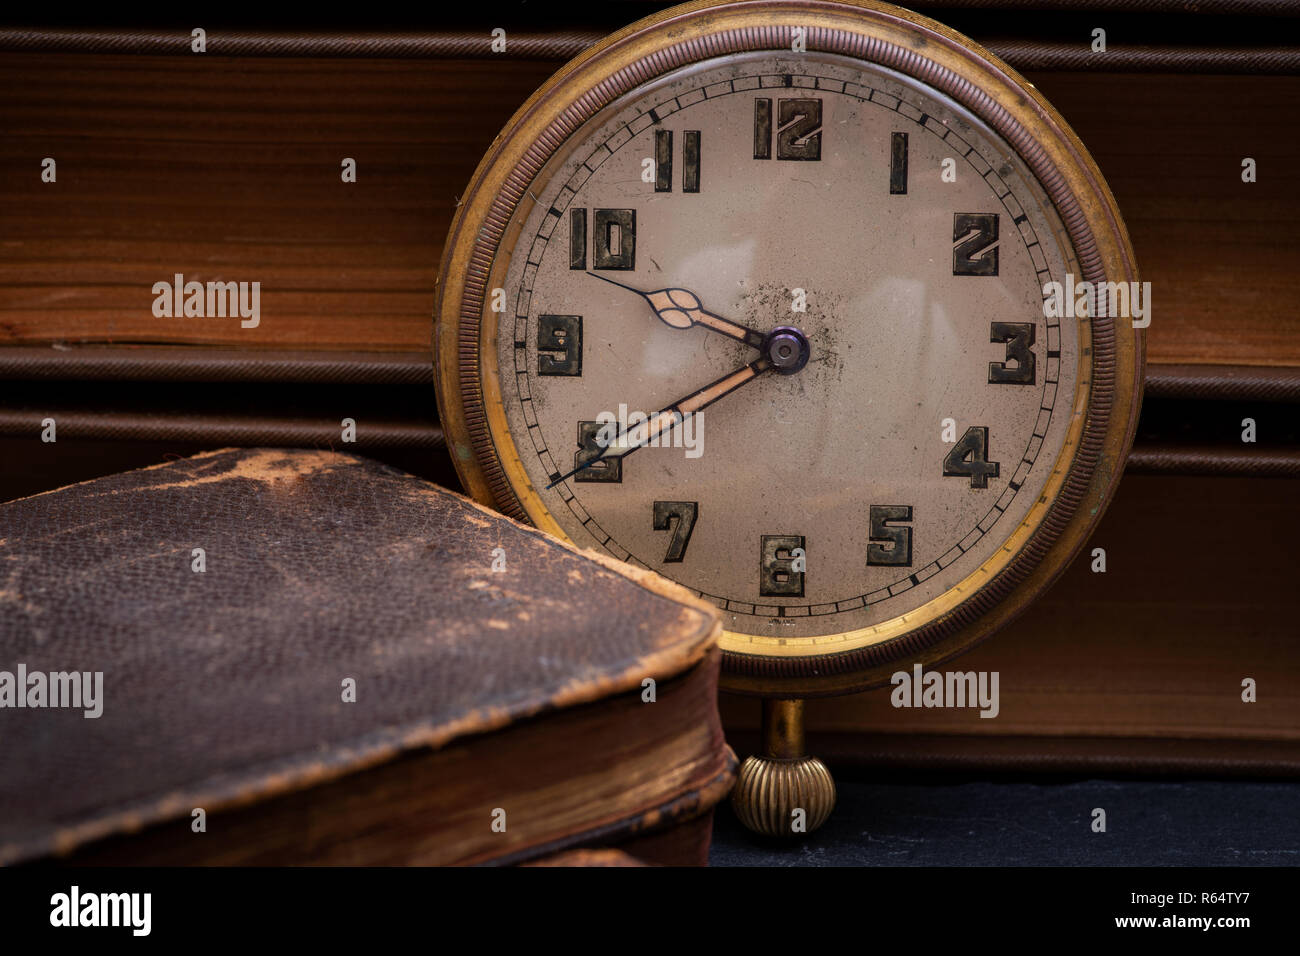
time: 9:40
